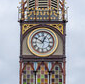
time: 12:50
